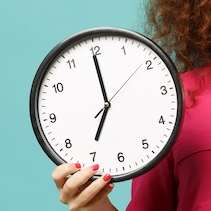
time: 6:59
